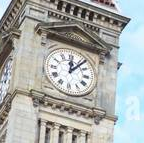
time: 12:06
